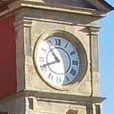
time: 10:41
